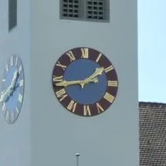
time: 1:43
